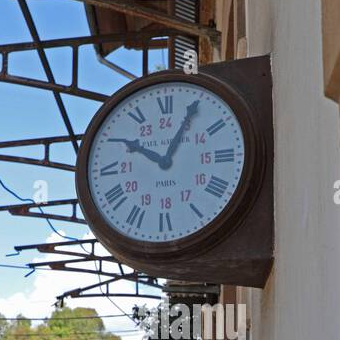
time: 10:04
